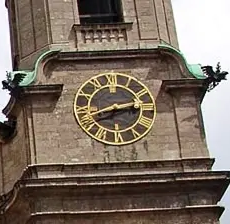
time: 2:42
